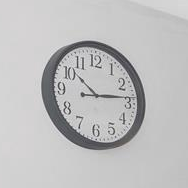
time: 10:13
